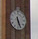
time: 5:26
